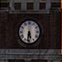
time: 5:31
